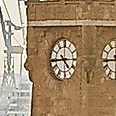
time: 4:44
